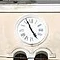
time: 4:56
